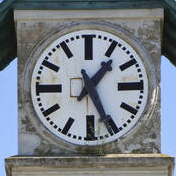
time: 1:25
